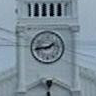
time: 1:43
